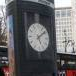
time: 5:08
